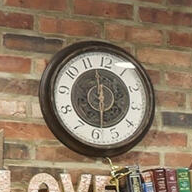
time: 5:57
